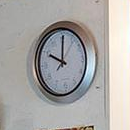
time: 10:00
